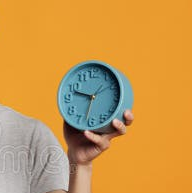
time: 9:32
